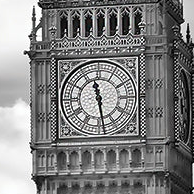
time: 11:28
